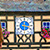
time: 3:29
